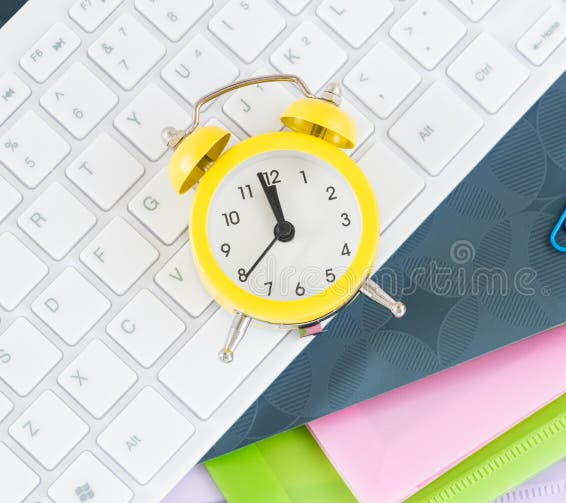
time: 11:58
